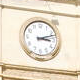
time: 3:12
